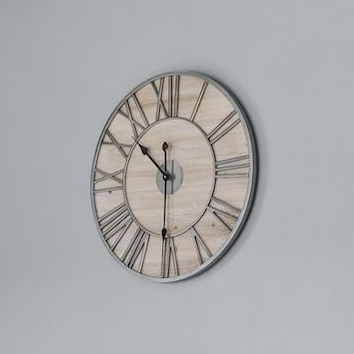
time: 10:30
